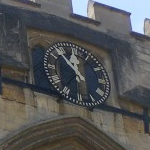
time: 11:53
